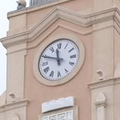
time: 11:48
